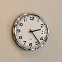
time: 2:23
